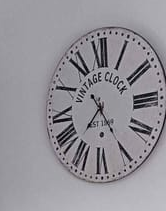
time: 7:24
